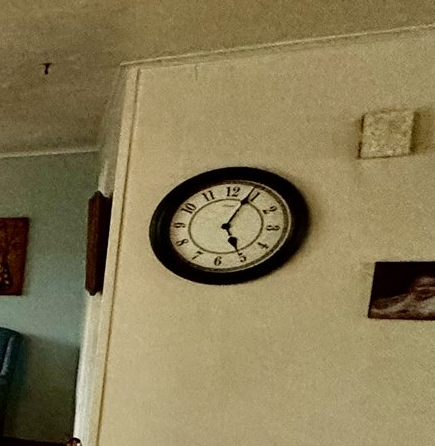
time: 5:03
